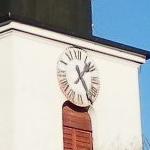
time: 1:24
